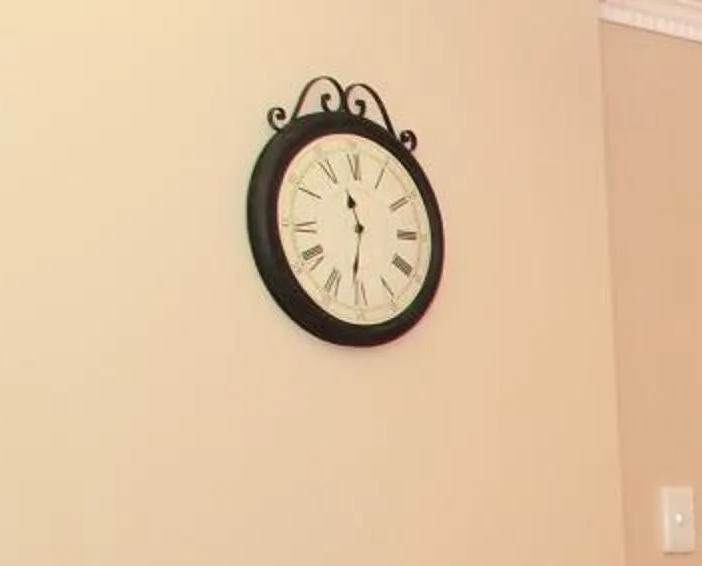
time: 11:31
